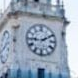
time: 9:10
